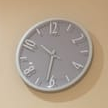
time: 10:32
